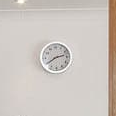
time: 2:40
